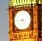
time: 4:44
